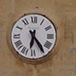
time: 6:24
